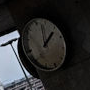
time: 12:58
